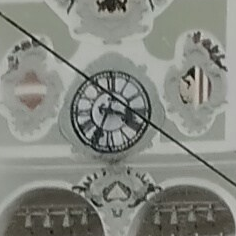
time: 3:34
